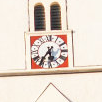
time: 5:36
